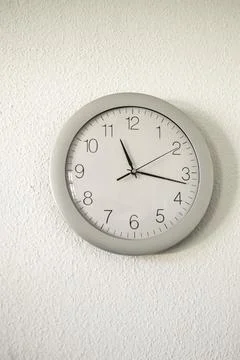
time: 11:16
